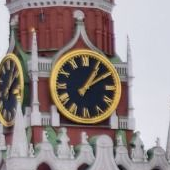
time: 1:09
